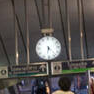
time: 4:31
